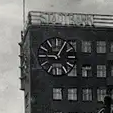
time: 9:05
